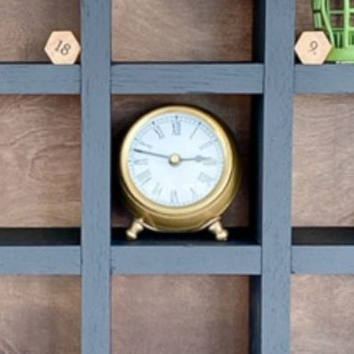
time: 2:47
